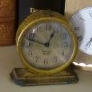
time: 12:46
